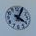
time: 4:04
